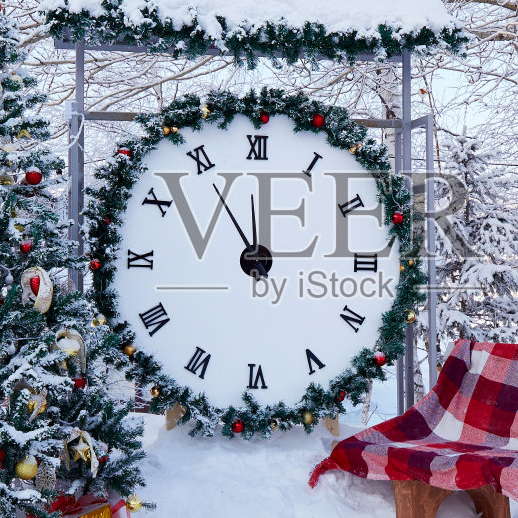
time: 11:54
